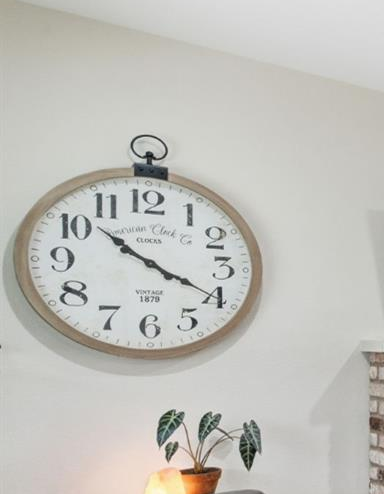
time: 10:20
